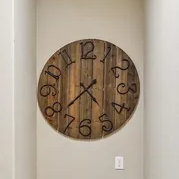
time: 4:38
